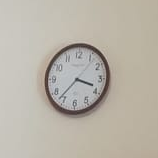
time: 3:37
